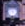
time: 4:29
